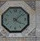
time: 4:08
